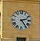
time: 2:24
